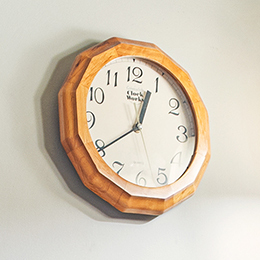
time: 12:39
